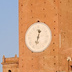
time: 12:32
